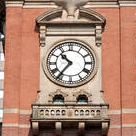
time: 10:36
